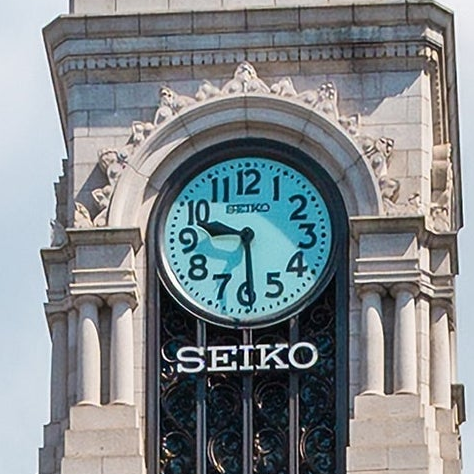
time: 9:29
